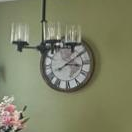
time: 3:09
